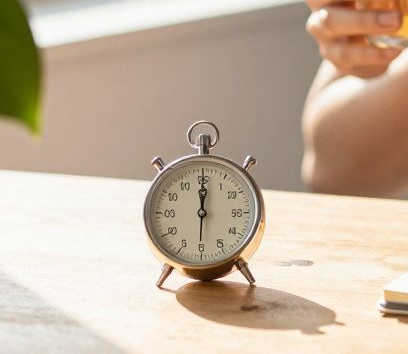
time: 11:59
